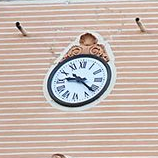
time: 9:21
